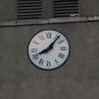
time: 8:06
